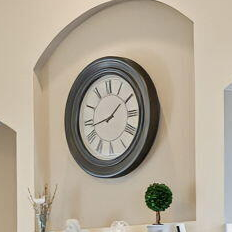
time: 1:43
